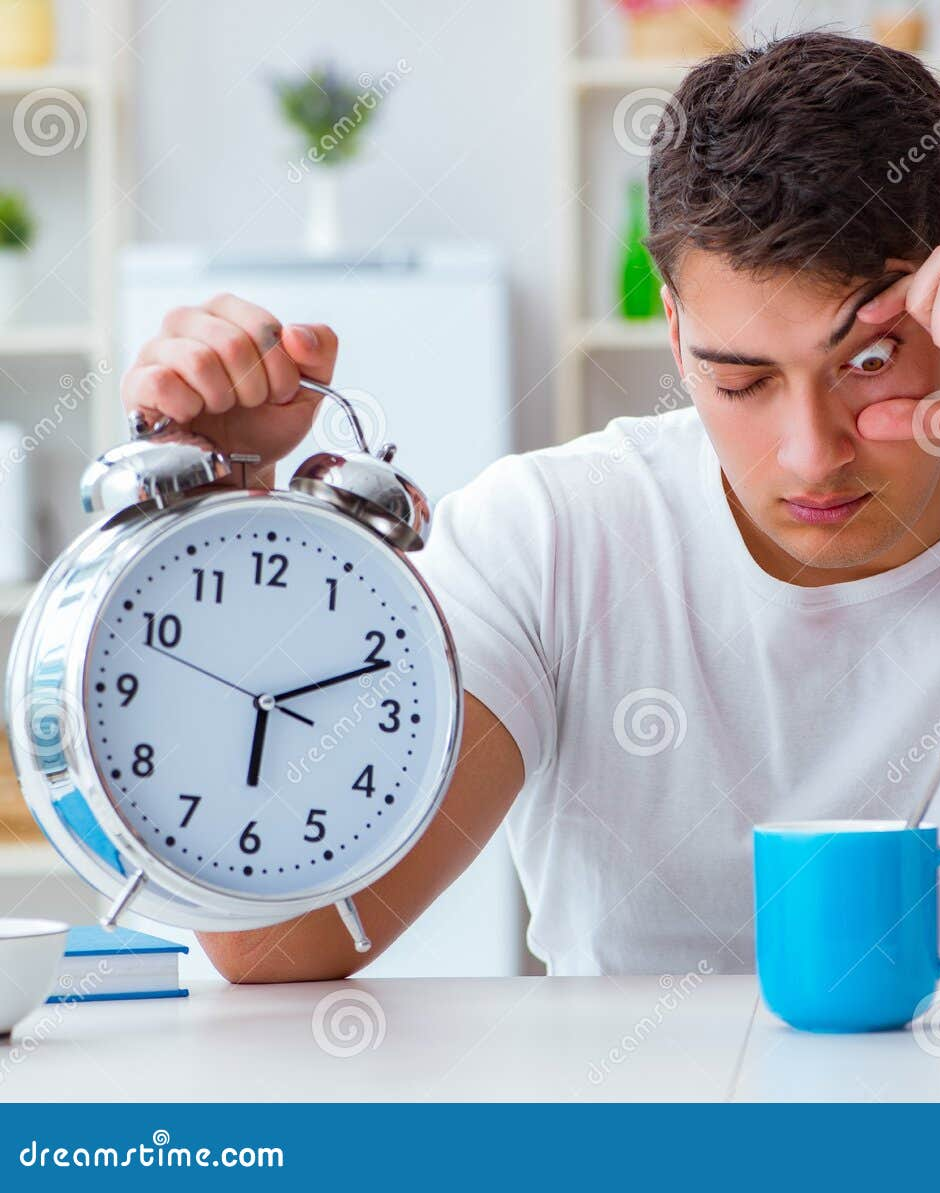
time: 6:11
